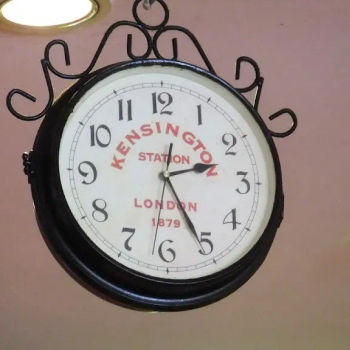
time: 2:25
